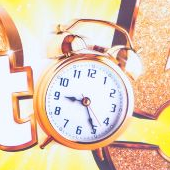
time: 9:25
